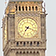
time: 7:18
